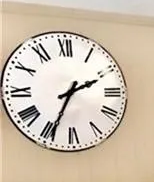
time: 2:34
